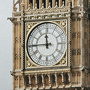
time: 11:44
